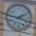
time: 2:18
